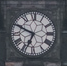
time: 6:49
